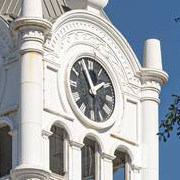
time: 1:56
